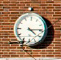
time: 4:14
